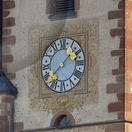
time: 1:37
